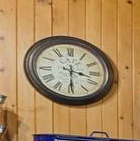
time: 3:29
